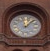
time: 12:07
